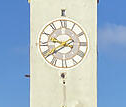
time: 9:39
